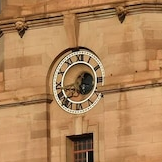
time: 12:43
